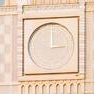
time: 3:00
